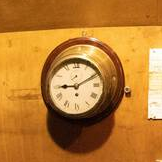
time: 9:10
